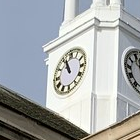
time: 10:56
